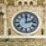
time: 12:12
